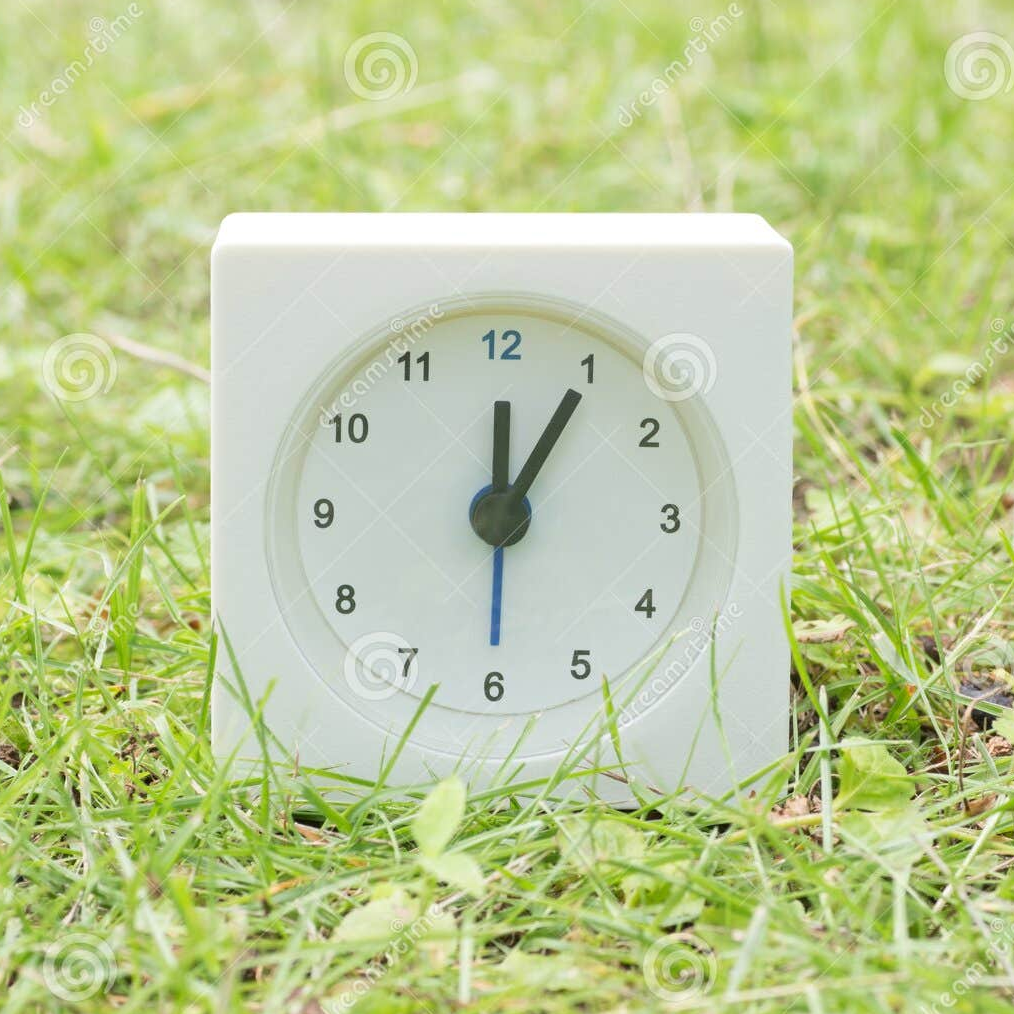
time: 12:05
